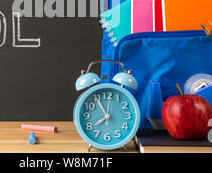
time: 7:54
